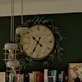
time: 10:34
